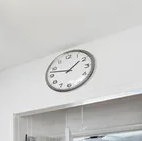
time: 1:47
